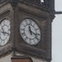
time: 11:17
